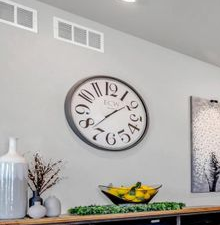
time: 1:37
